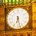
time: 6:27
